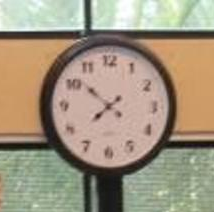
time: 7:51
